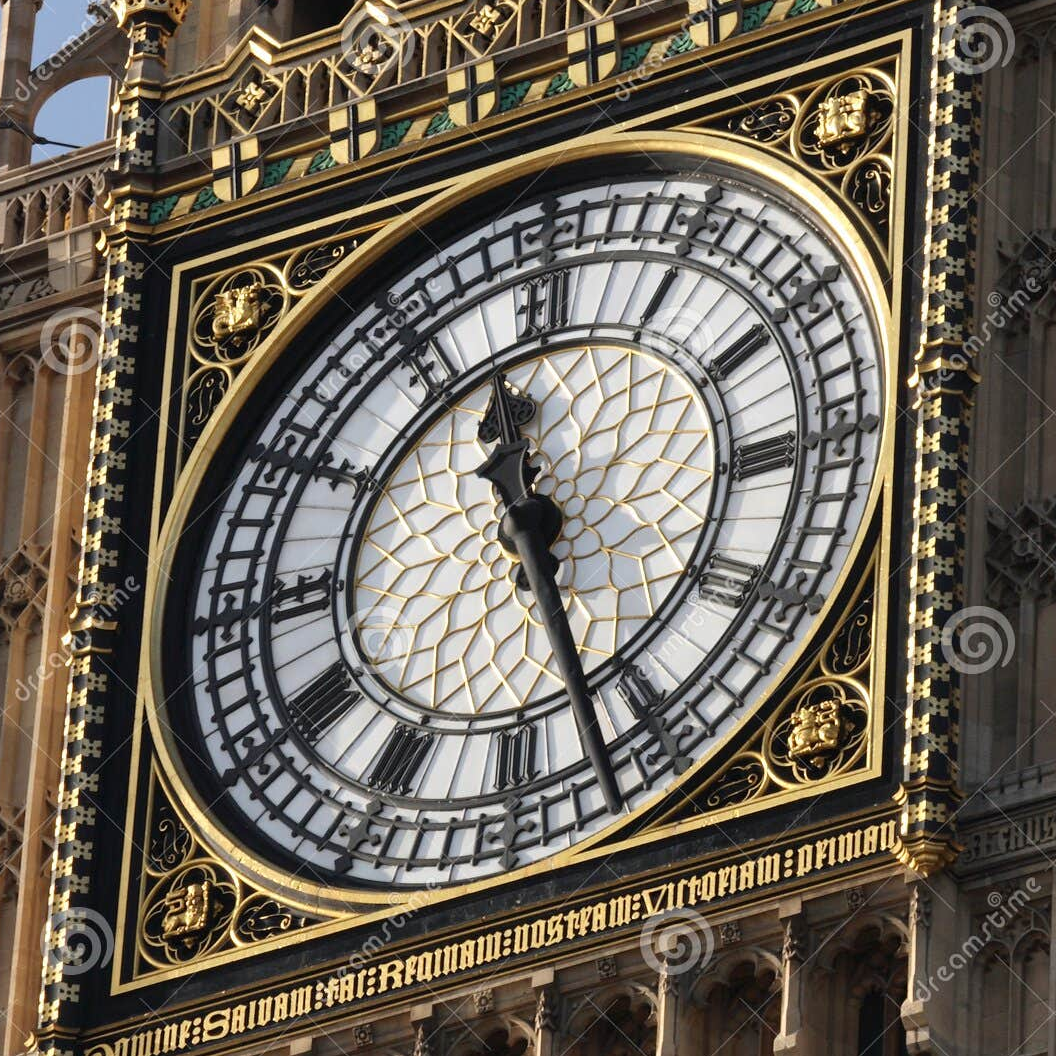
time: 11:26
